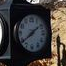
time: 1:38
